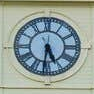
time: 5:31
